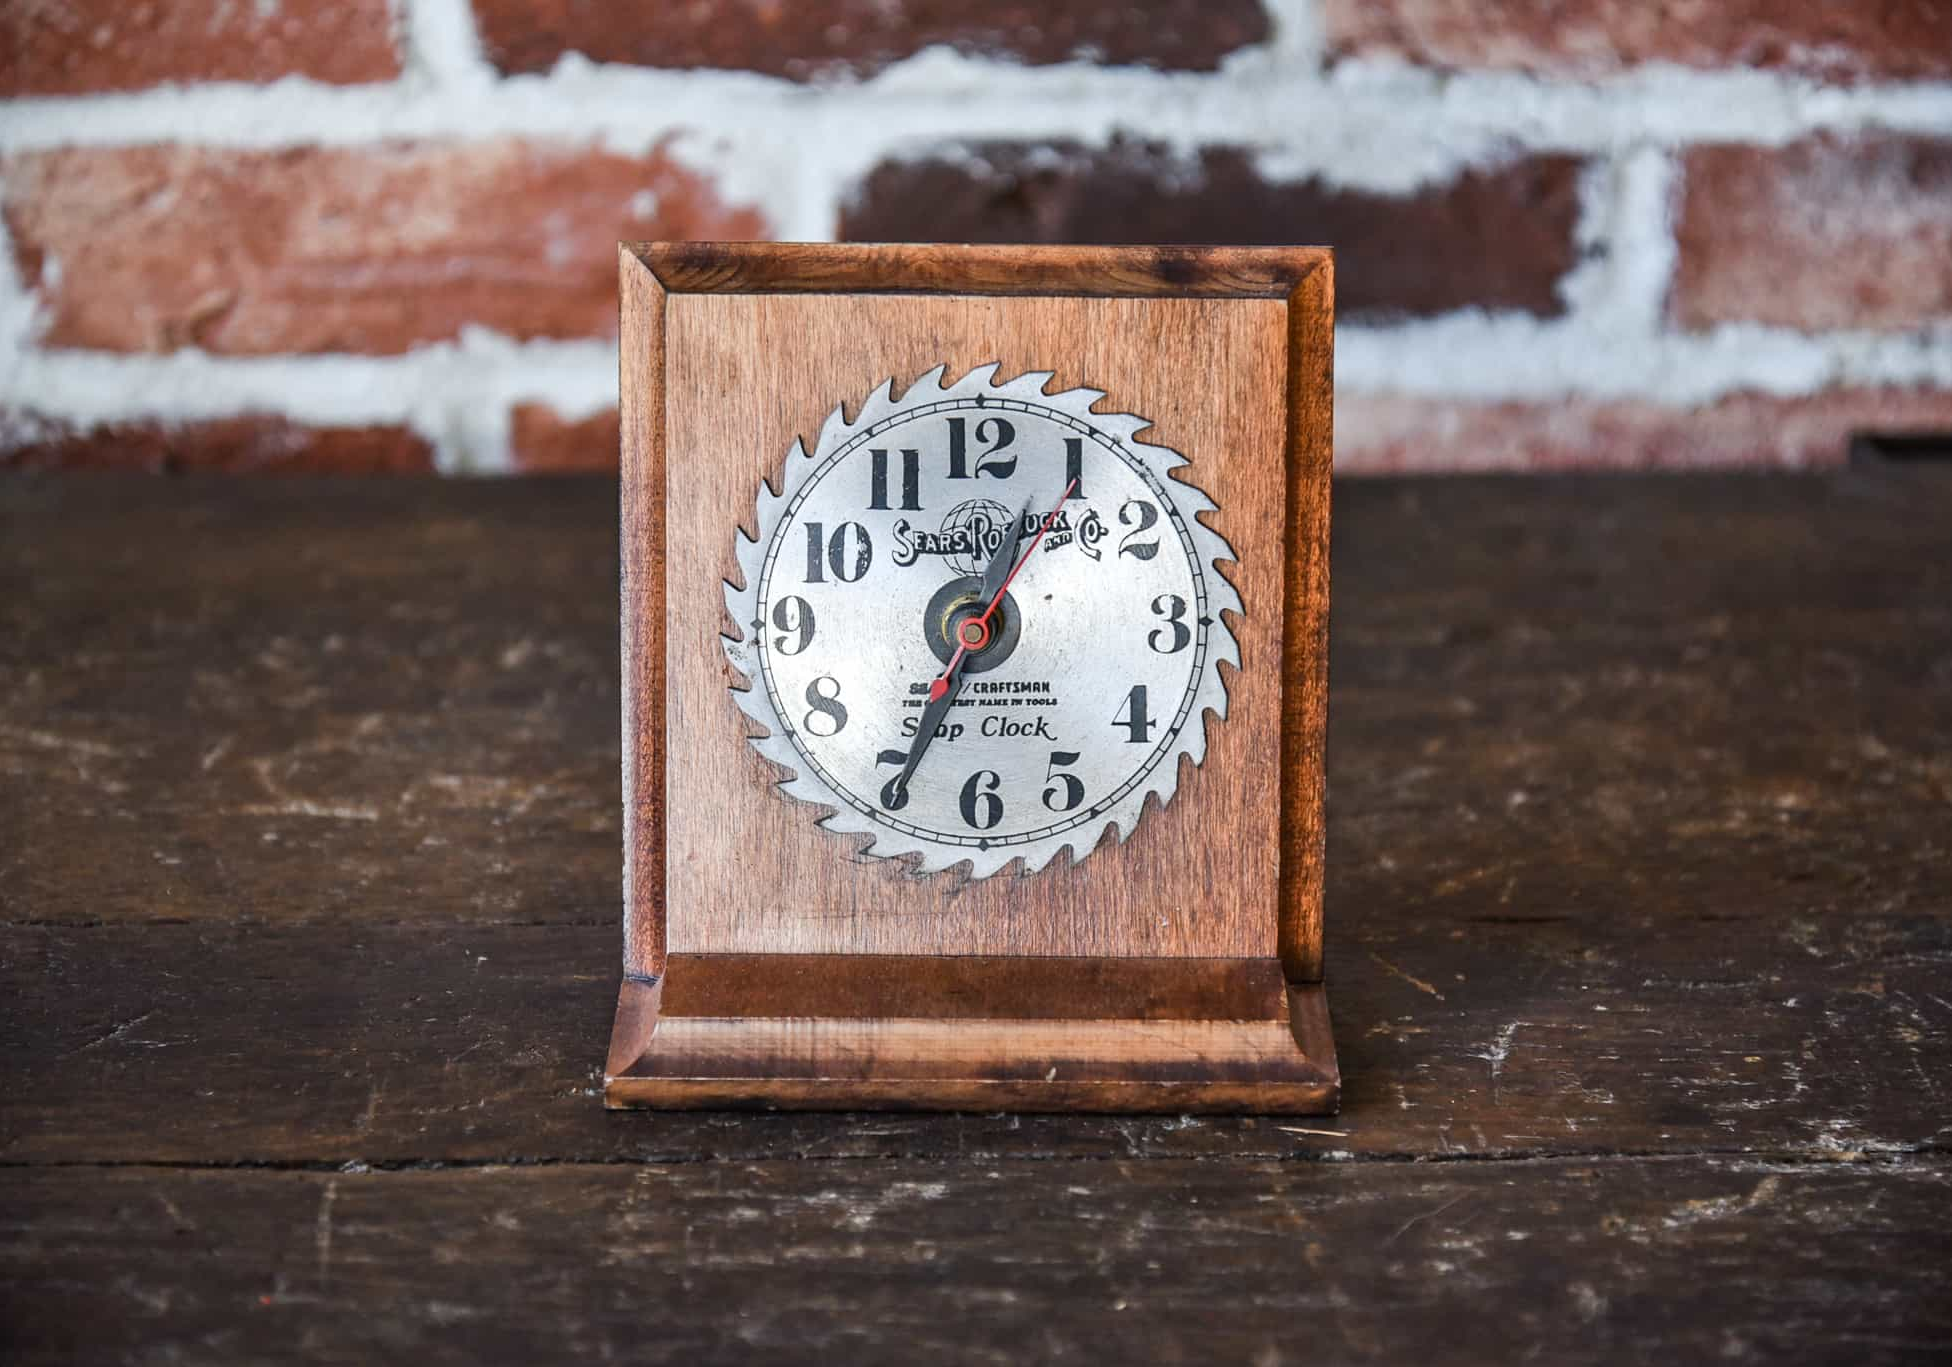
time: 12:34
